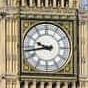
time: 9:43
